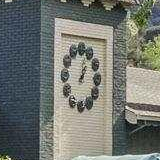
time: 1:01
